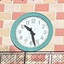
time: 10:27
